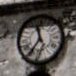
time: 11:35
